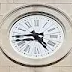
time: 4:44
